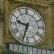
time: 9:33
